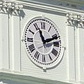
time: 11:11
